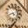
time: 4:41
